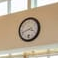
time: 3:42
